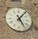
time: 5:06
